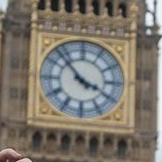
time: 3:52
